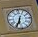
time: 6:34
